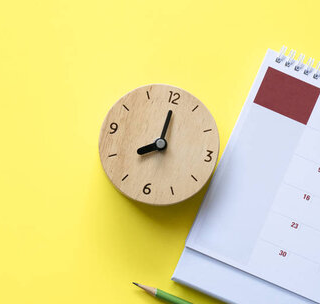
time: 8:00
